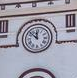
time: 11:52
